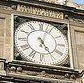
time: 5:03
